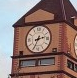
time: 2:35
